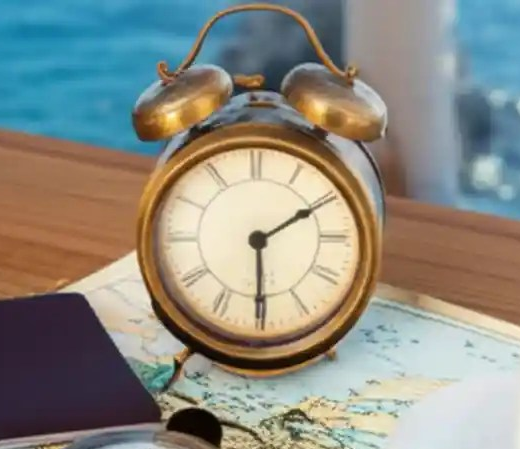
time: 6:10
